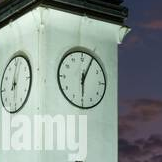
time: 6:04
